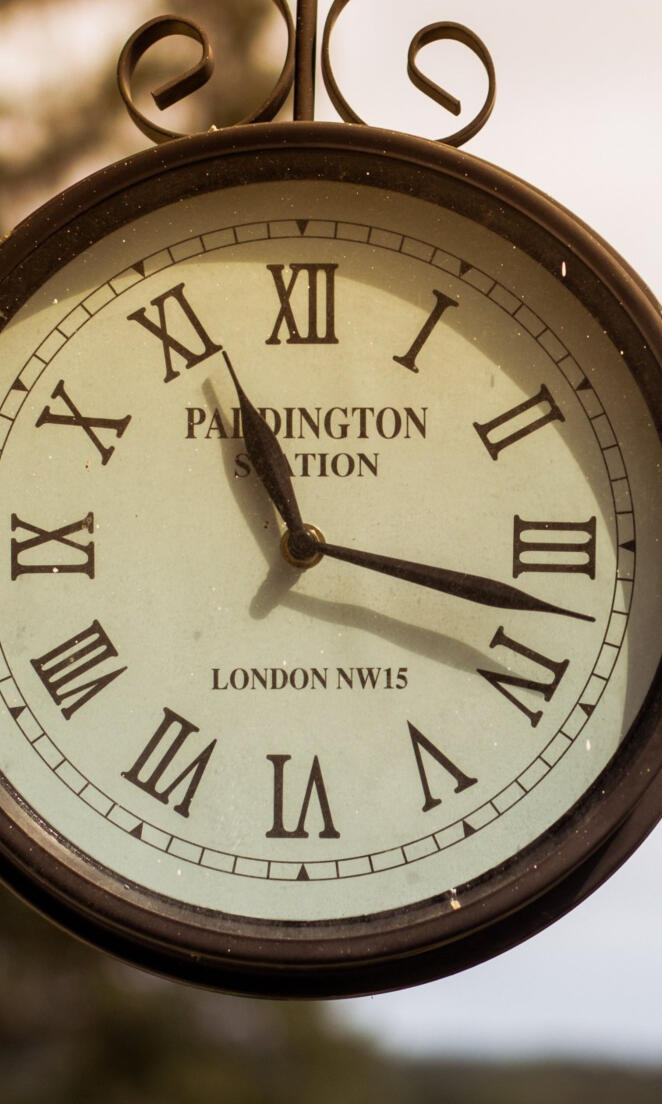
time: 11:17
